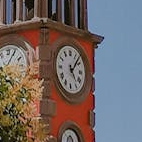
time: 5:07
